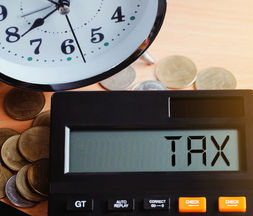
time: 12:38
